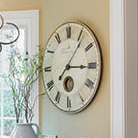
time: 3:06
